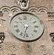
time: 6:32
